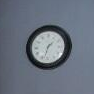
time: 1:33
